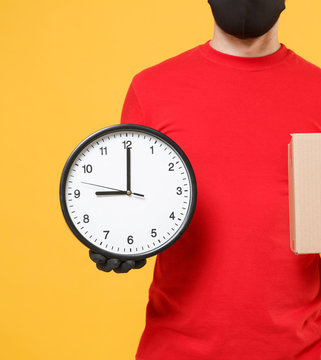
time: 8:59
